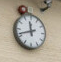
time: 11:41
